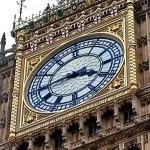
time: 3:43
